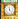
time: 11:23
